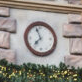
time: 7:56
